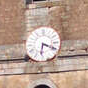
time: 6:18
